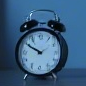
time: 9:50
